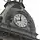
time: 11:42
